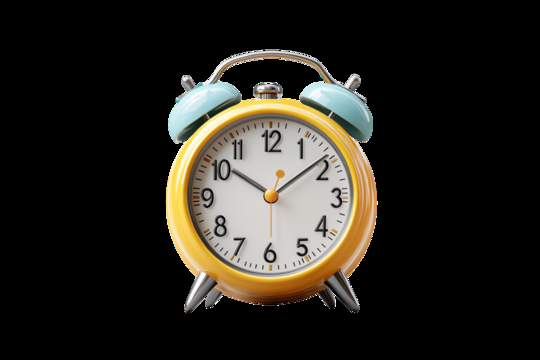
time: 10:08
